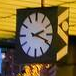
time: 2:18
